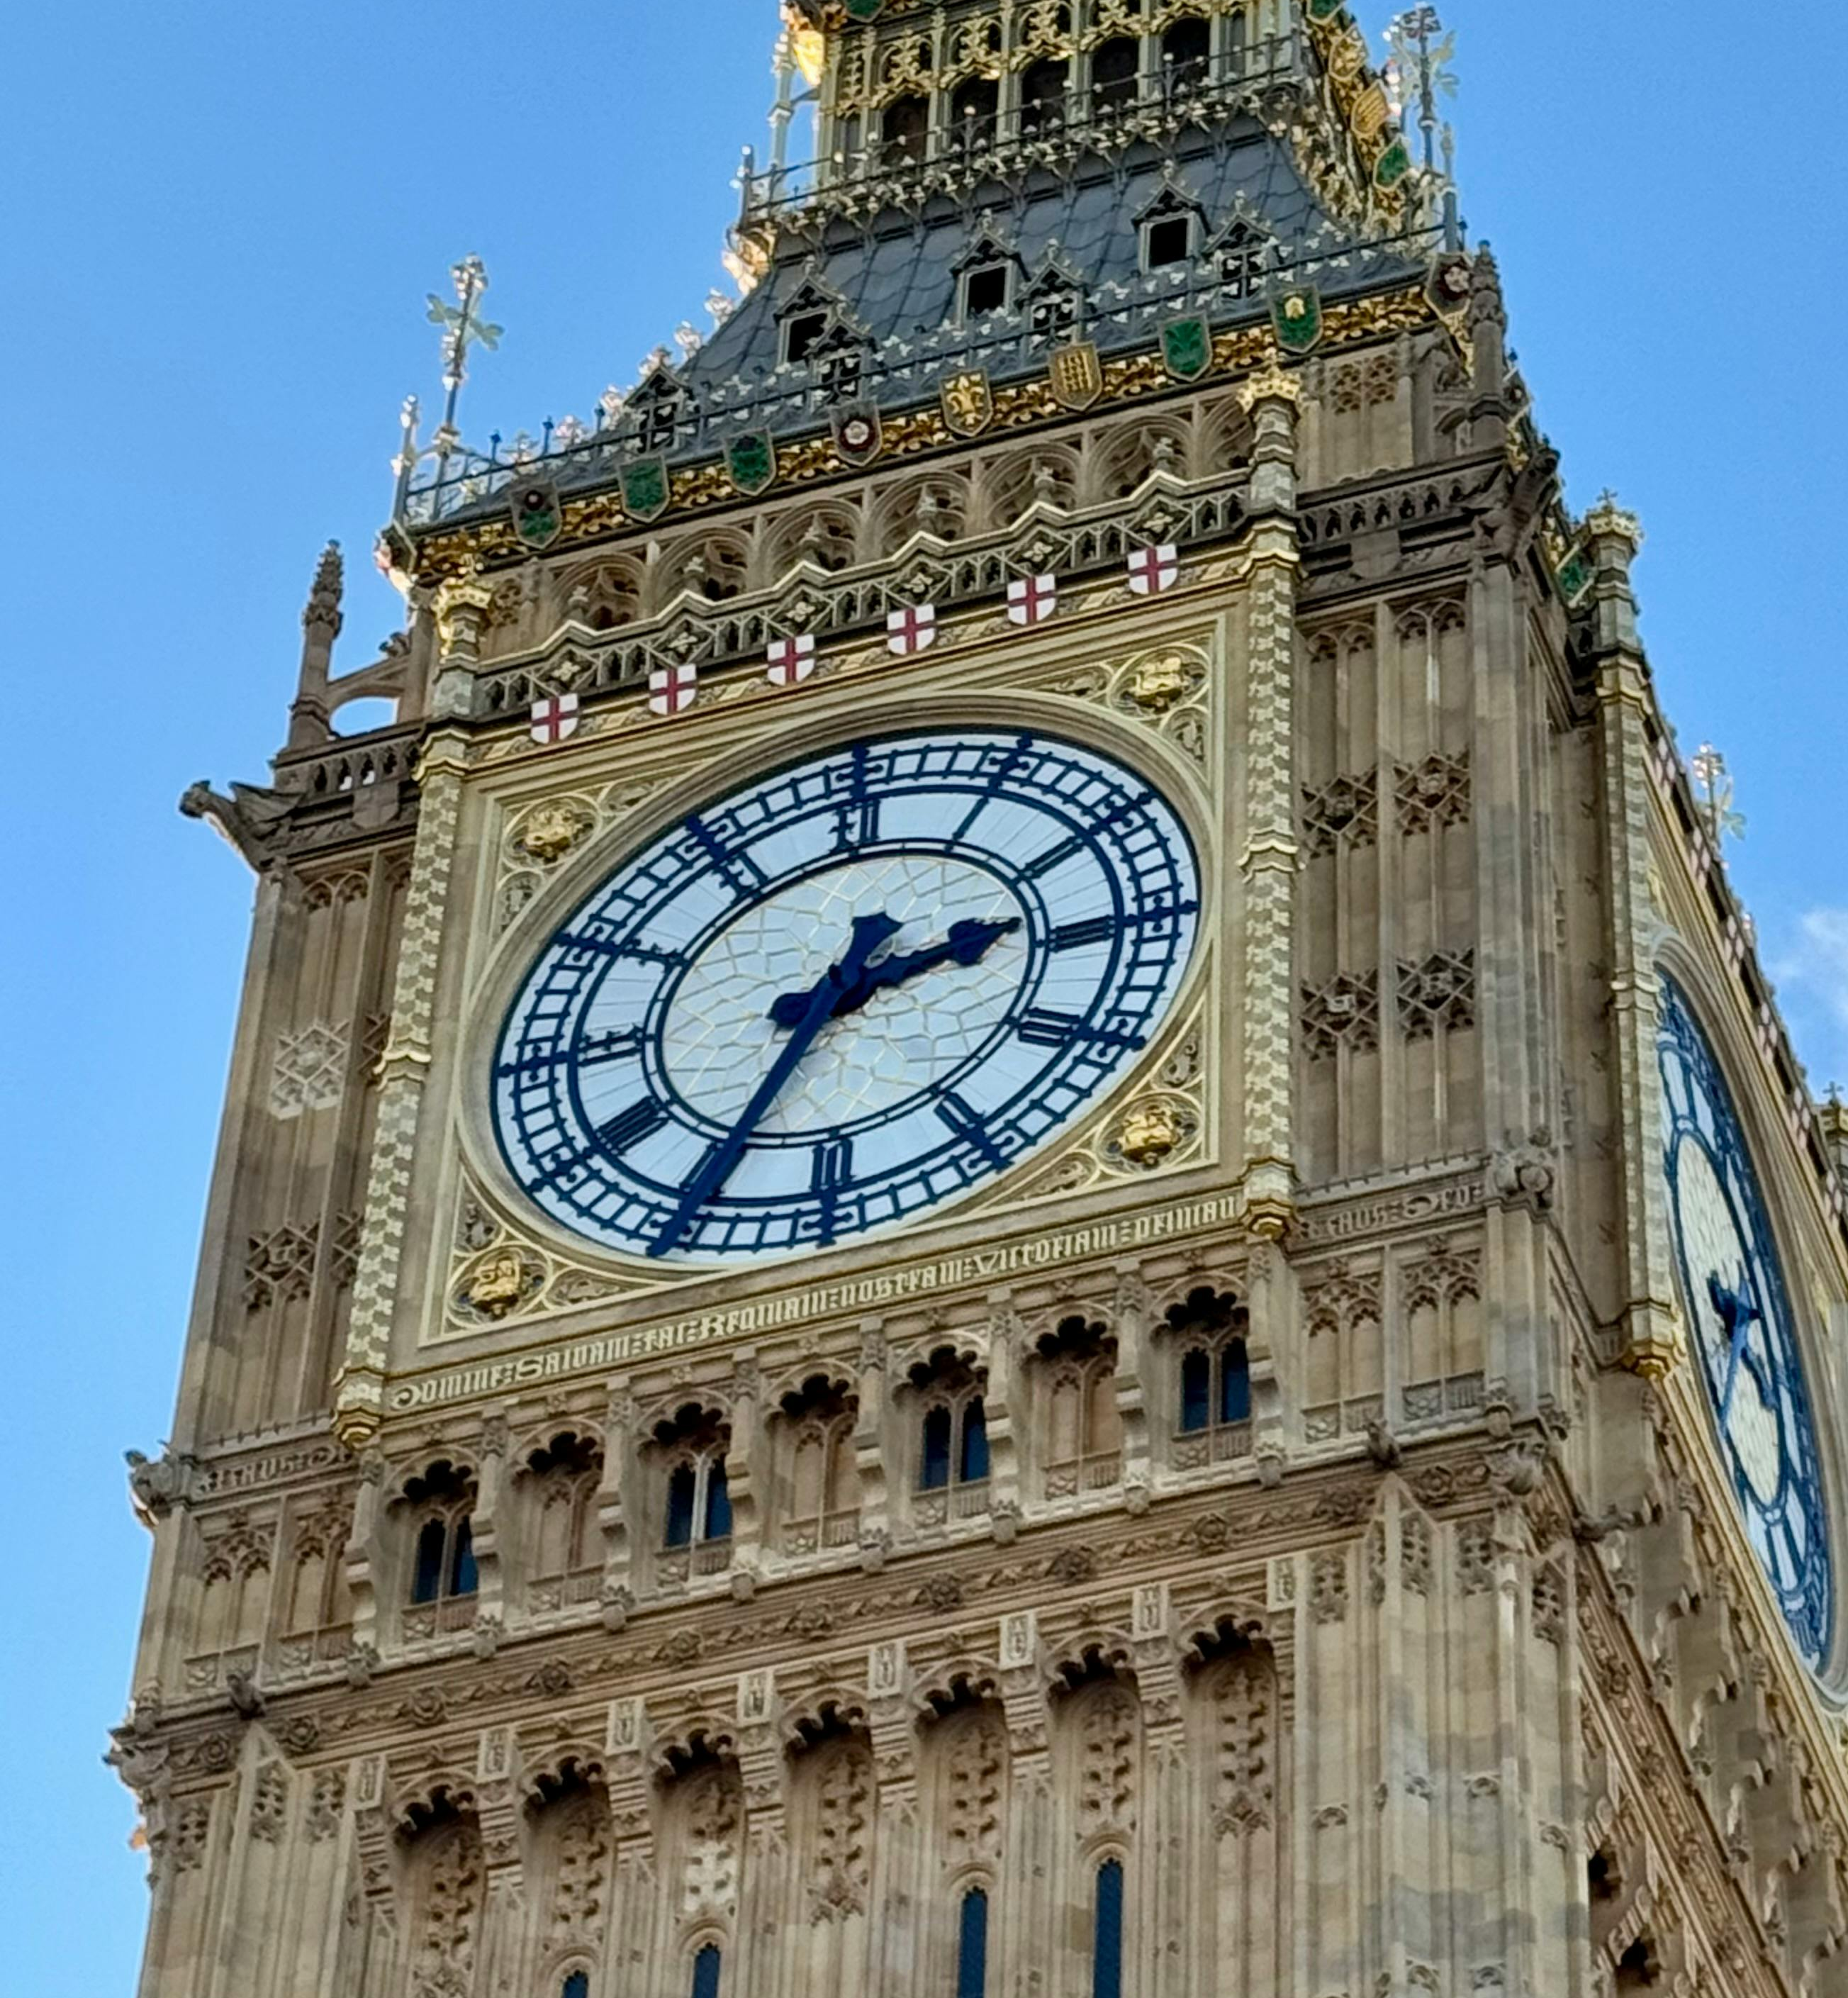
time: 2:34
